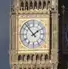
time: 1:53
